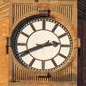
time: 2:40
